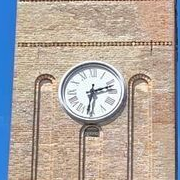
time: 2:30
